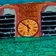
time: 5:51
